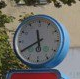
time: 11:40
